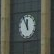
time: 11:55
